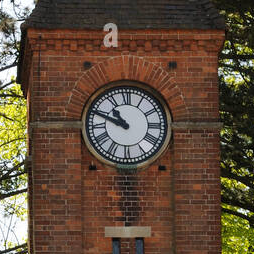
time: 10:48
